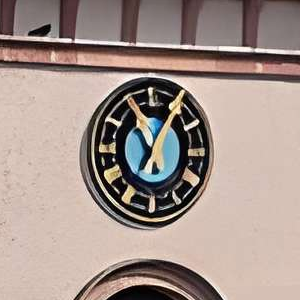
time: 11:05
